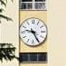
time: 9:25
